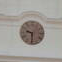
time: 9:30
